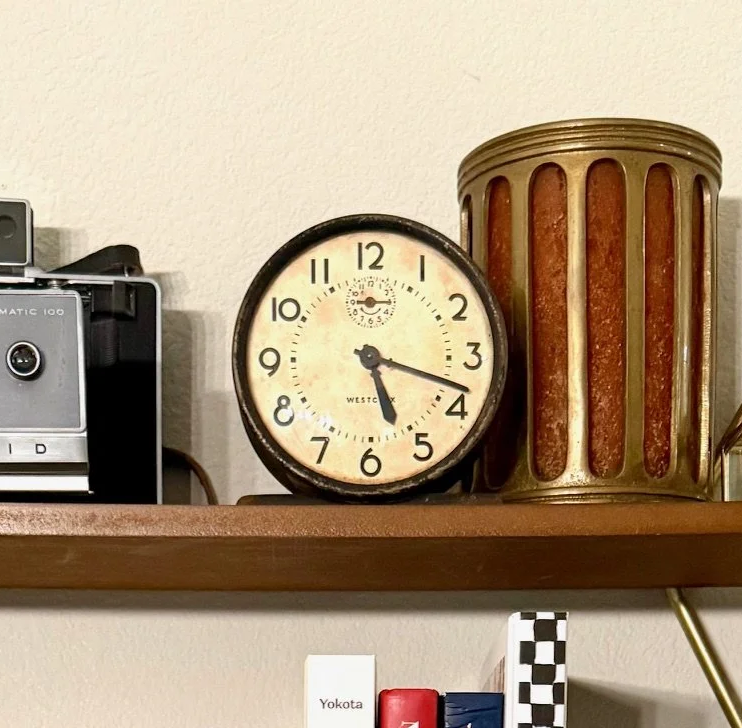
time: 5:18
